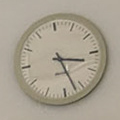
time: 3:27
